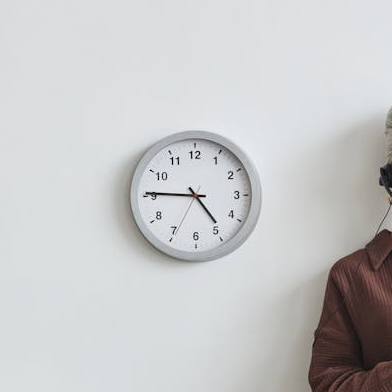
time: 4:45
